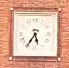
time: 5:35
